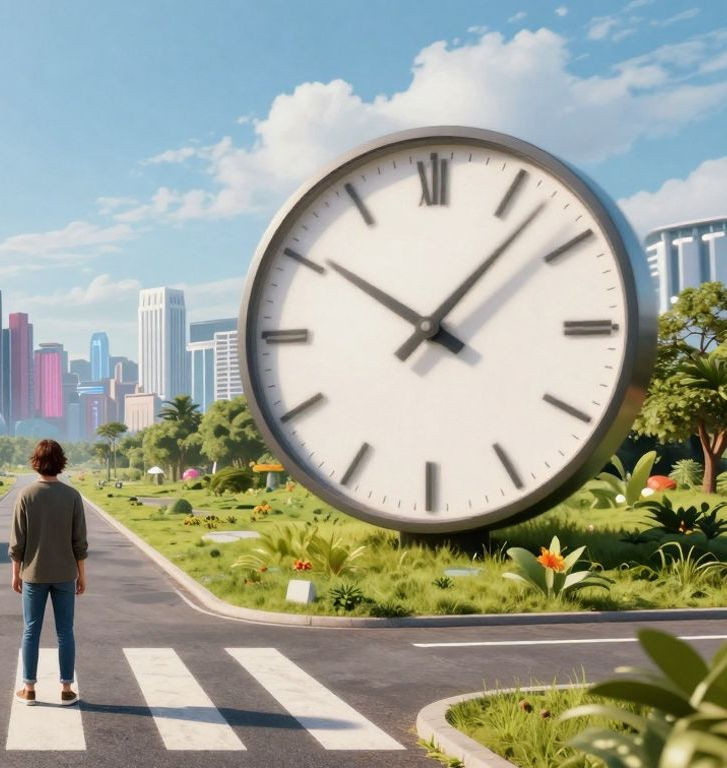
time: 10:07
